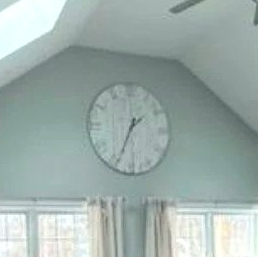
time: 1:34
